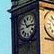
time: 11:13
